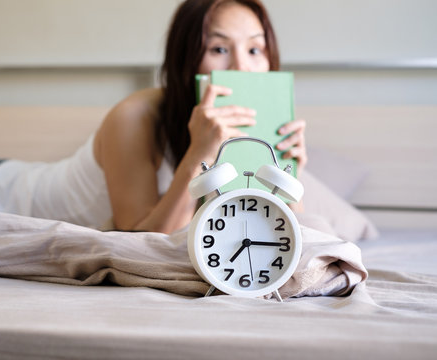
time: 7:15
